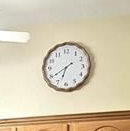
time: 6:39
